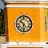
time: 10:30
